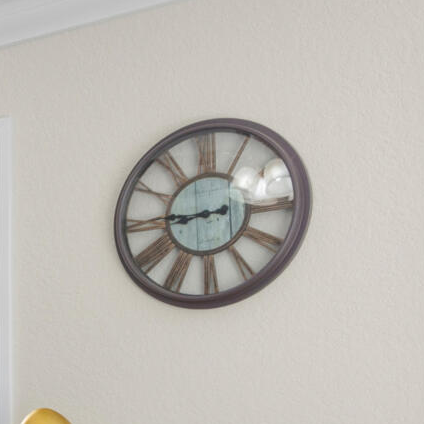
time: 8:45
